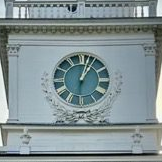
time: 1:02
